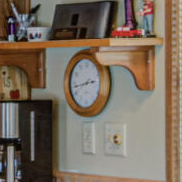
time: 2:43
